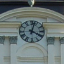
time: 4:02
